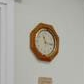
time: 11:16
